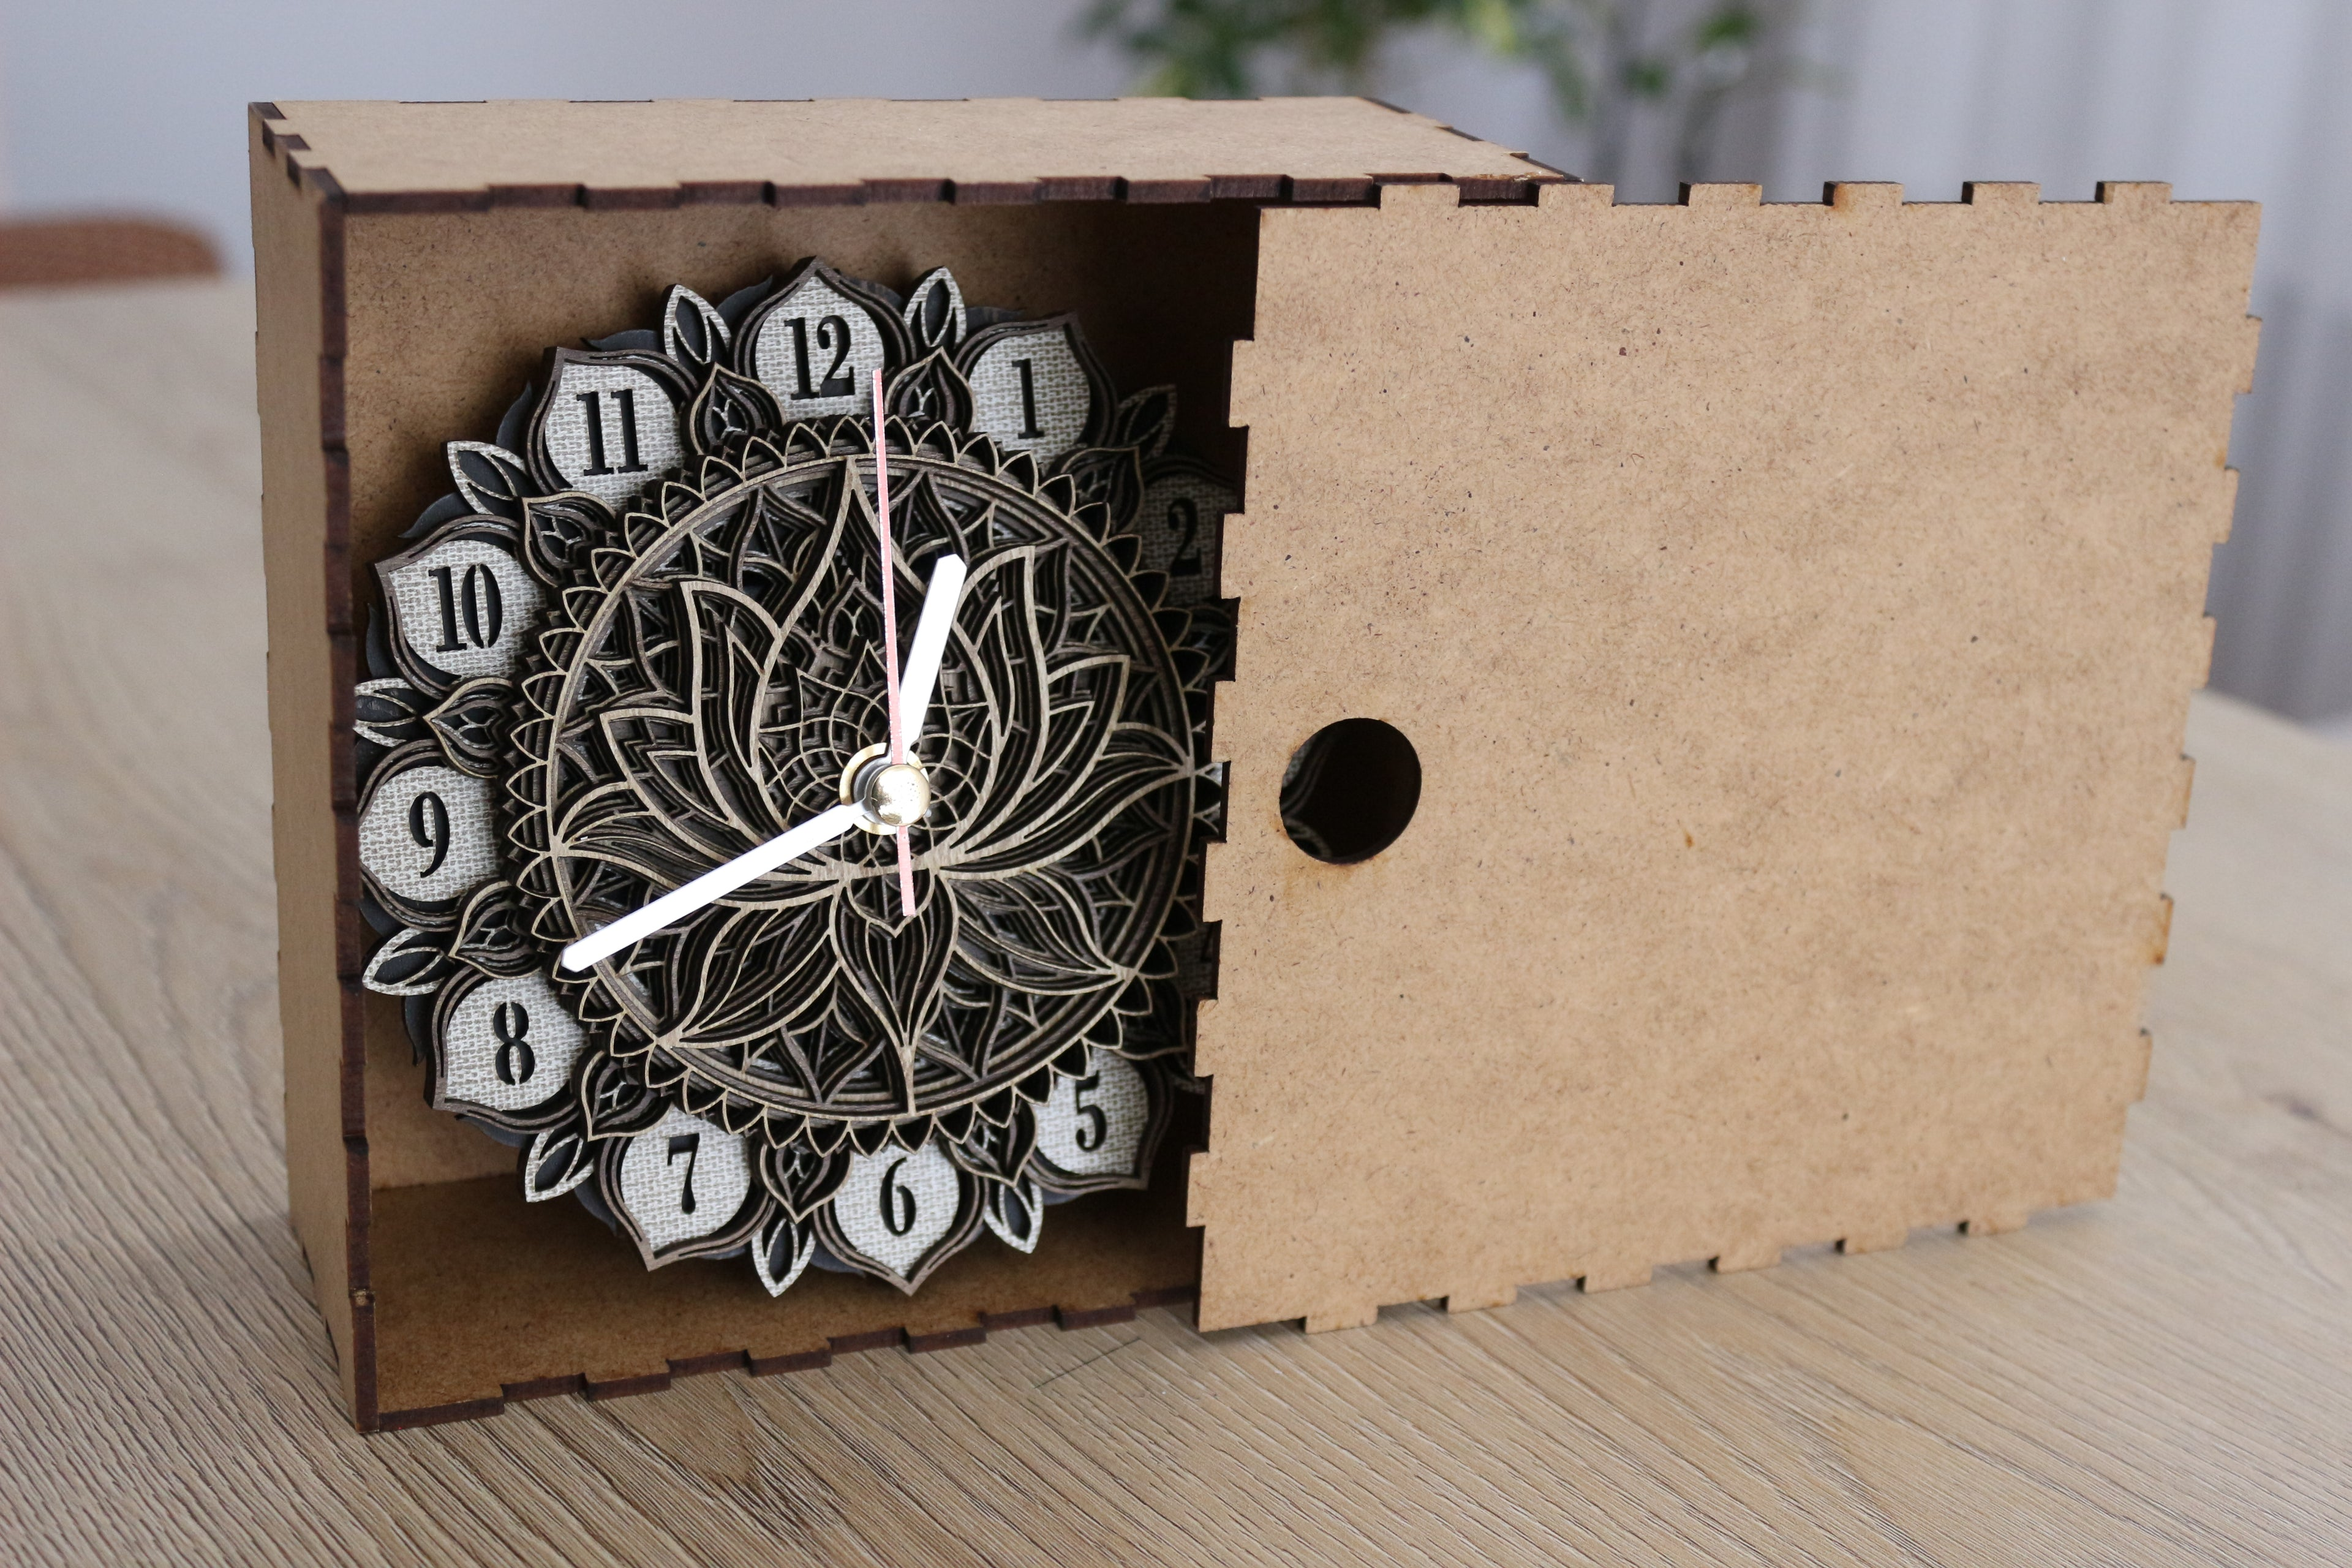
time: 12:41
